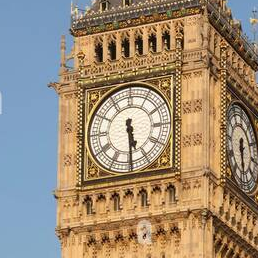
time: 5:29
